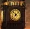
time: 11:07
